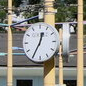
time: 12:34
